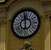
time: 5:59
